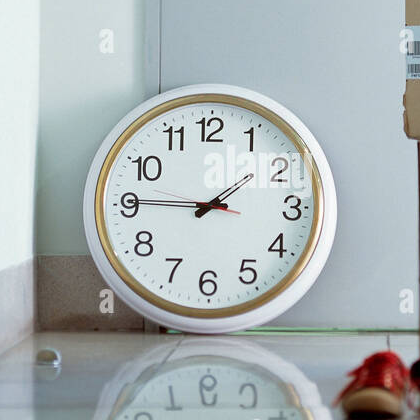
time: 1:45
